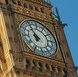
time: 6:54
